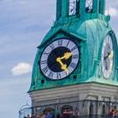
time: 2:23
